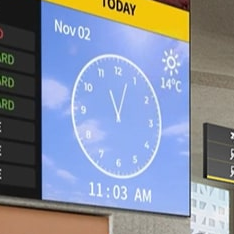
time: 11:03
